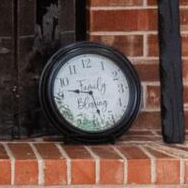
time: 9:27
